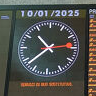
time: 10:38
